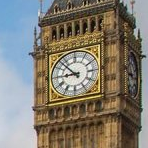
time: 8:52
